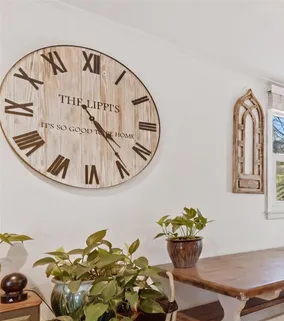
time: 4:23
